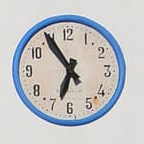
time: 6:54
